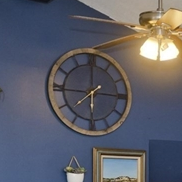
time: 5:59
